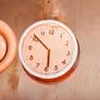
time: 5:51
